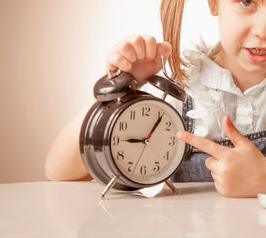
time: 9:06
